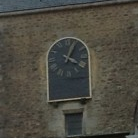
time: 4:04
